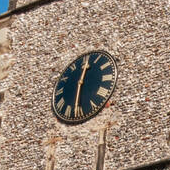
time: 12:30
